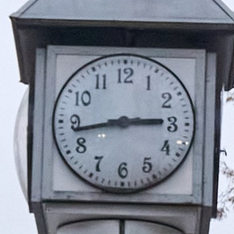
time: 2:43
